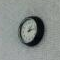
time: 1:12
